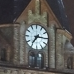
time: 7:15
